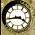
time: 3:43
